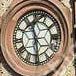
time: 11:29
